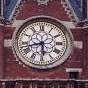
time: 5:42
